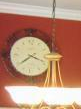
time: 3:39
